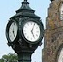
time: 5:03
